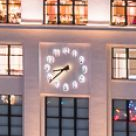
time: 8:38
